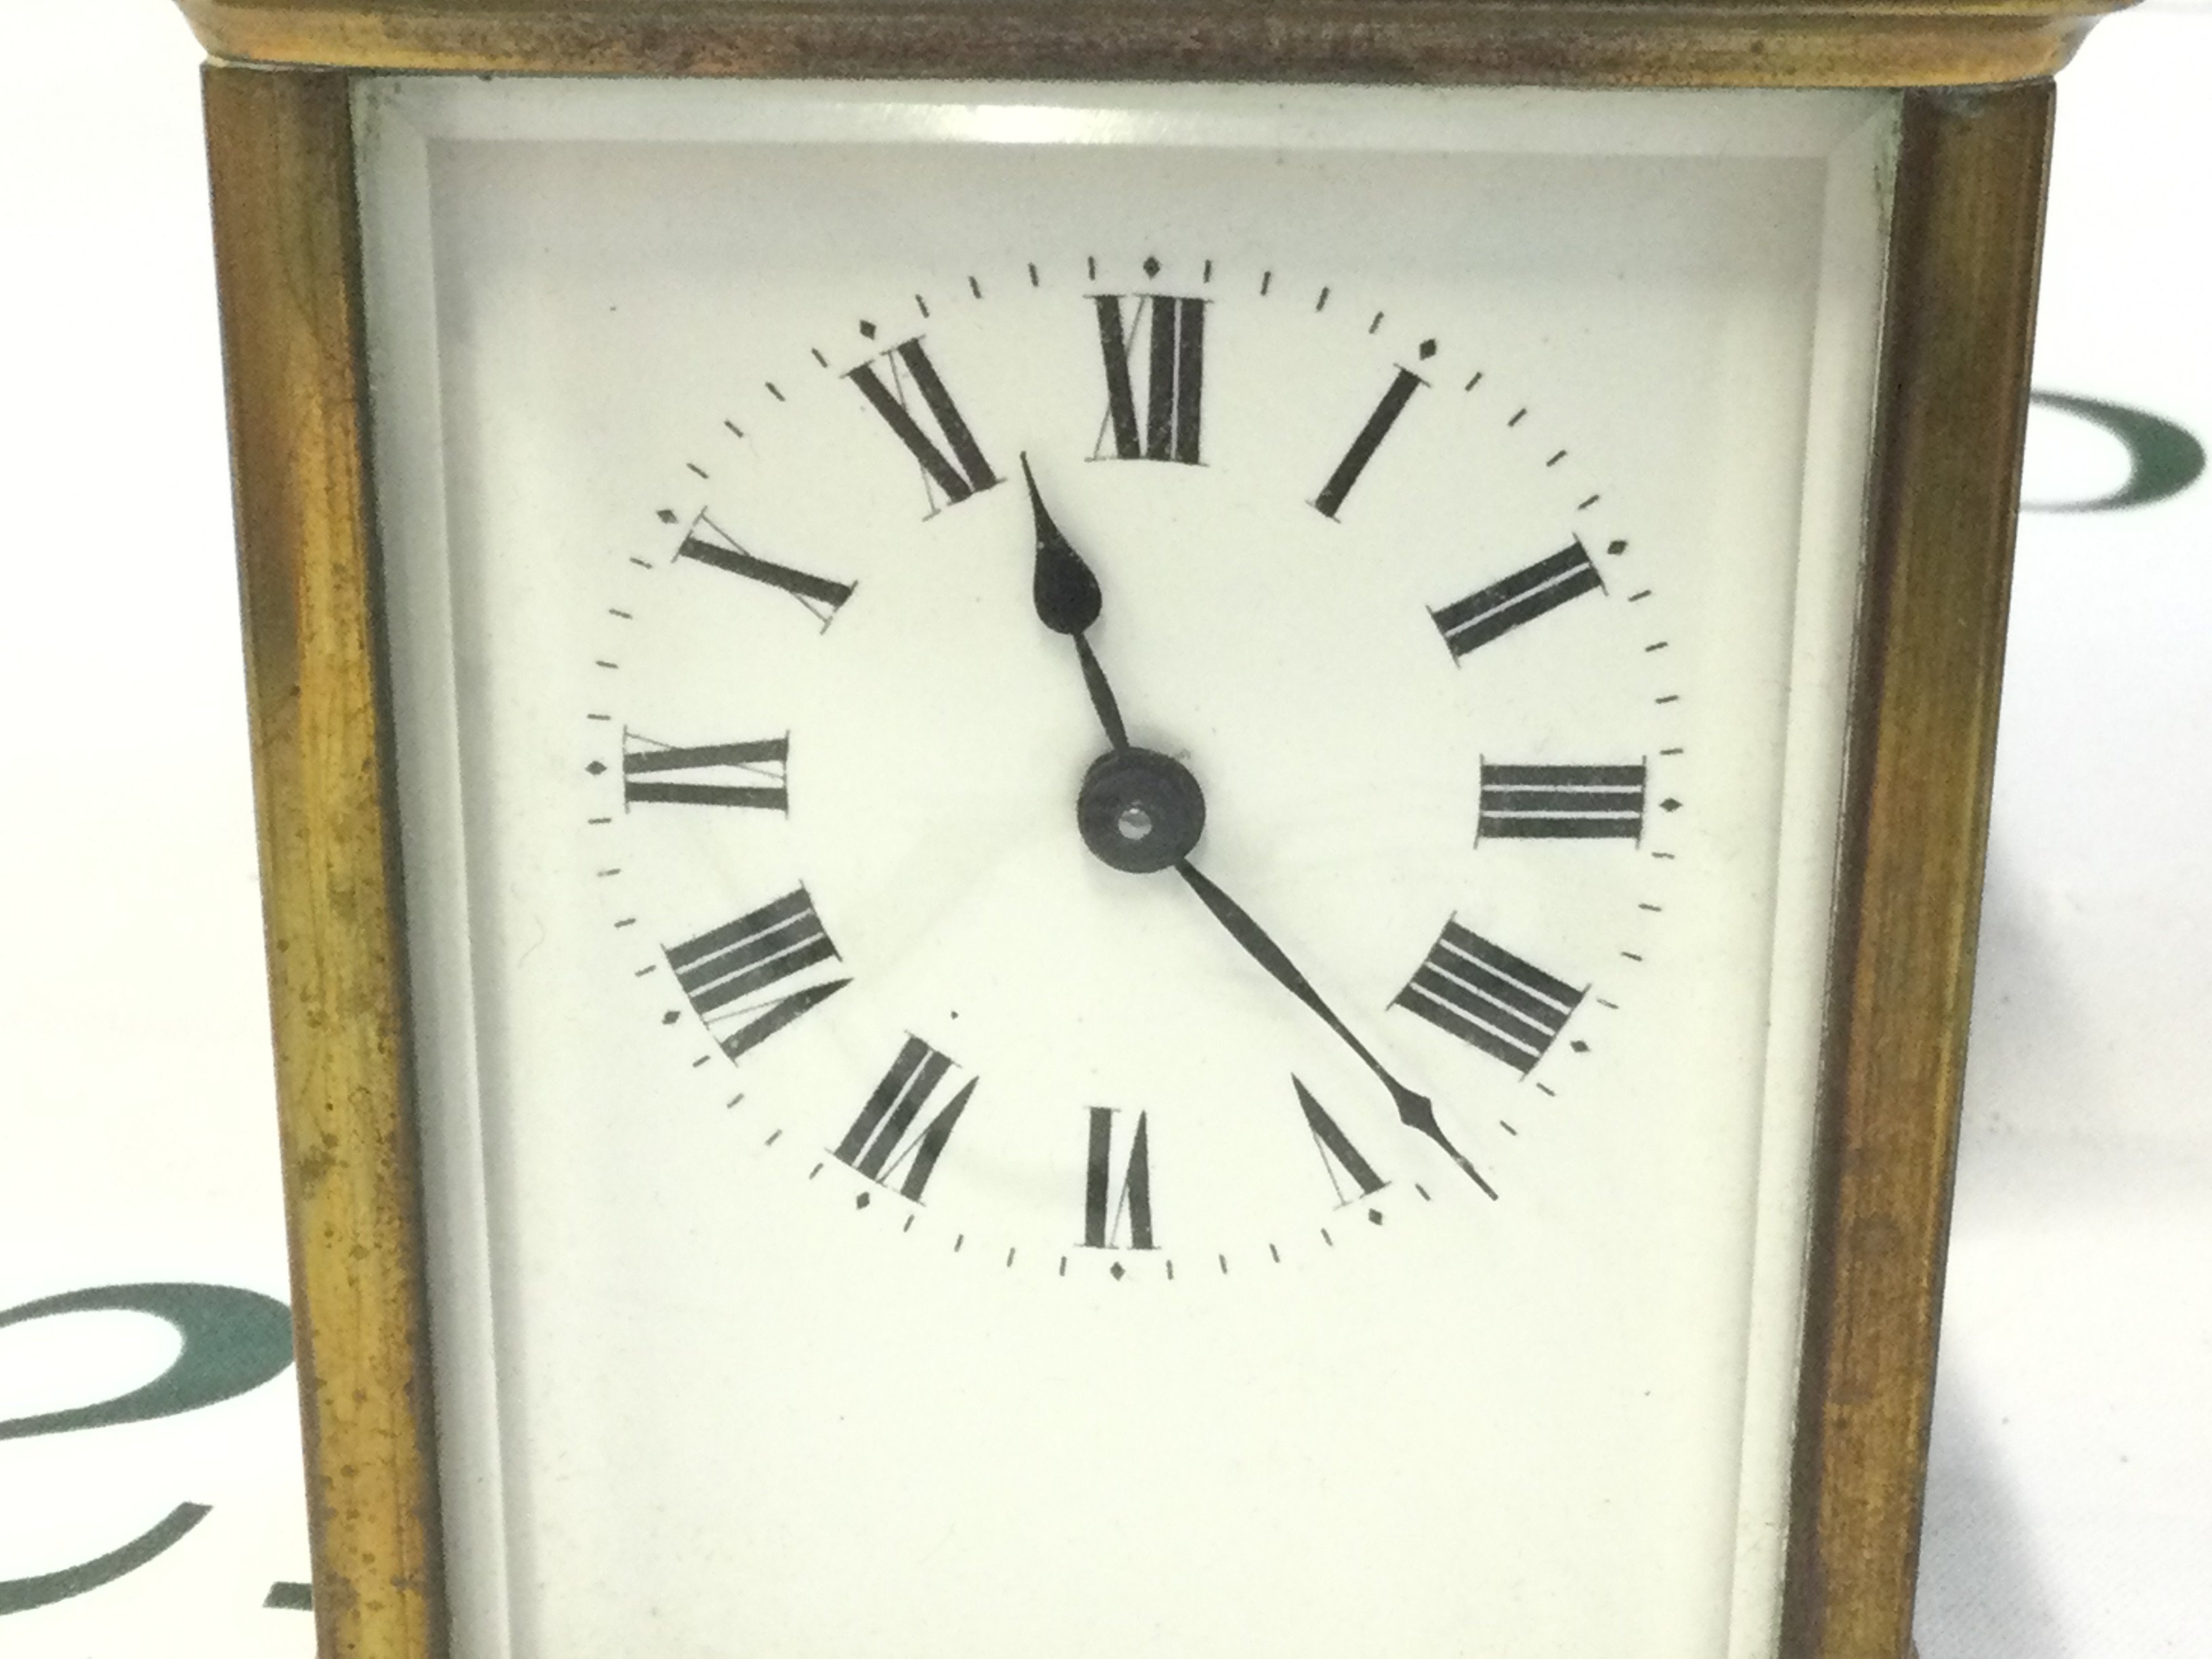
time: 11:22
